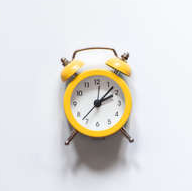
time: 2:07
